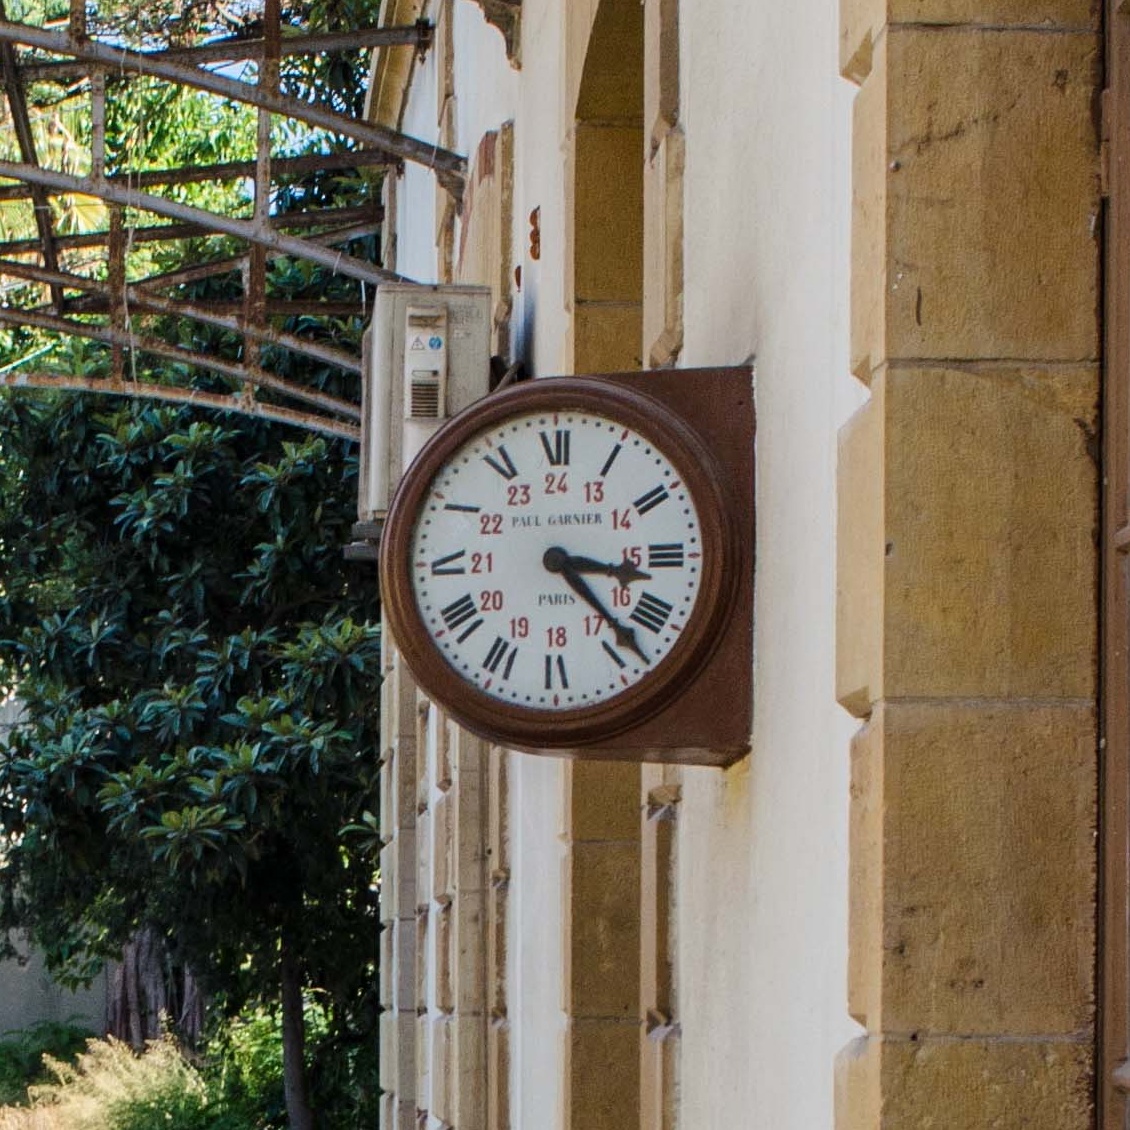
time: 3:22
